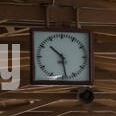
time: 10:28
